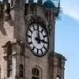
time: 2:59
